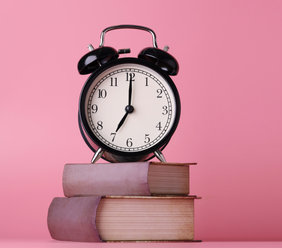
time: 7:00
